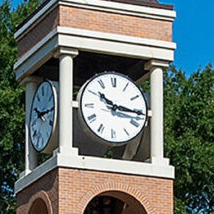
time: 10:16
